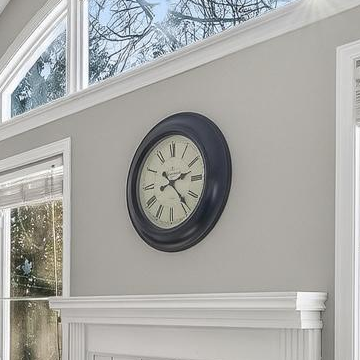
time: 2:23
